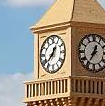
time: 12:37
